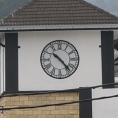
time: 10:23
